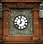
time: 6:58
